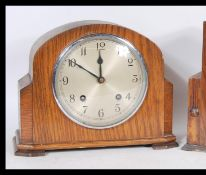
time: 11:50
